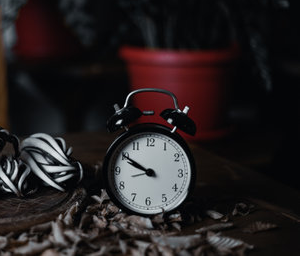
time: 9:50
